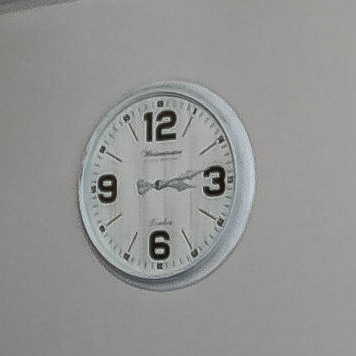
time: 3:13
